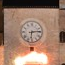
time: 6:13
